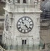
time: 4:22
